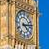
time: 4:13
